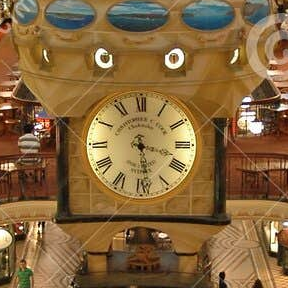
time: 3:28
